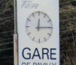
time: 12:14
